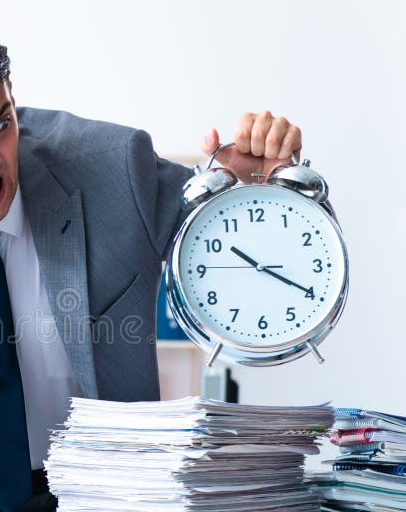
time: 10:19
